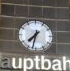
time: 7:32
